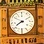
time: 7:49
